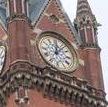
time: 12:07
